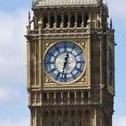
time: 12:32
